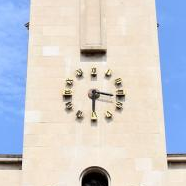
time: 6:16
